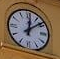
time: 12:08
